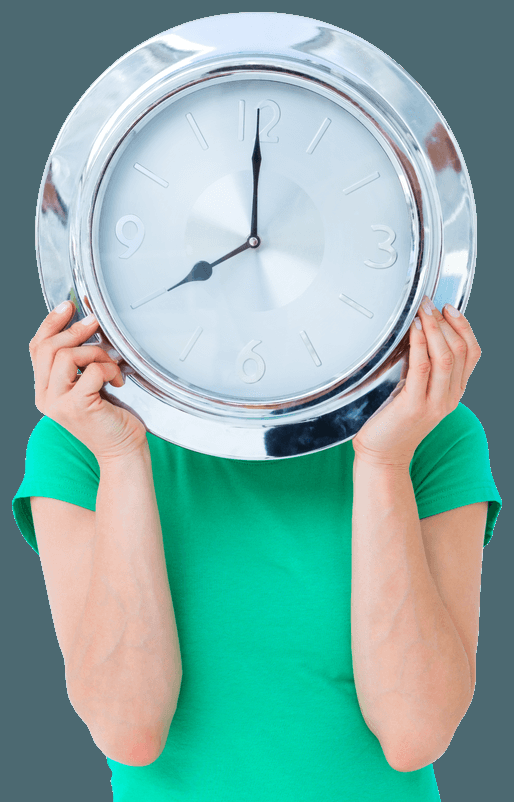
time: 8:00
